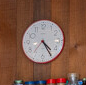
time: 4:24
